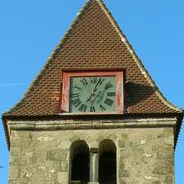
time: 7:03
